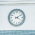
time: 4:09
